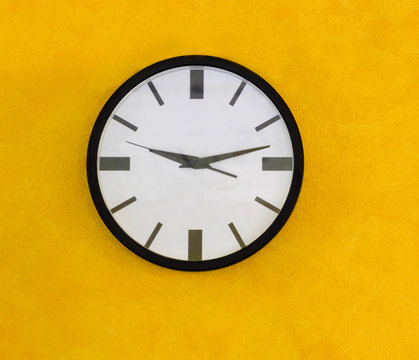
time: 9:12
